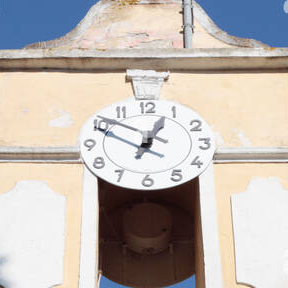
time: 12:49
